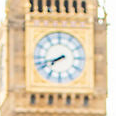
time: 7:42
